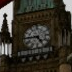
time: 4:44
